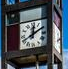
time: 12:09
